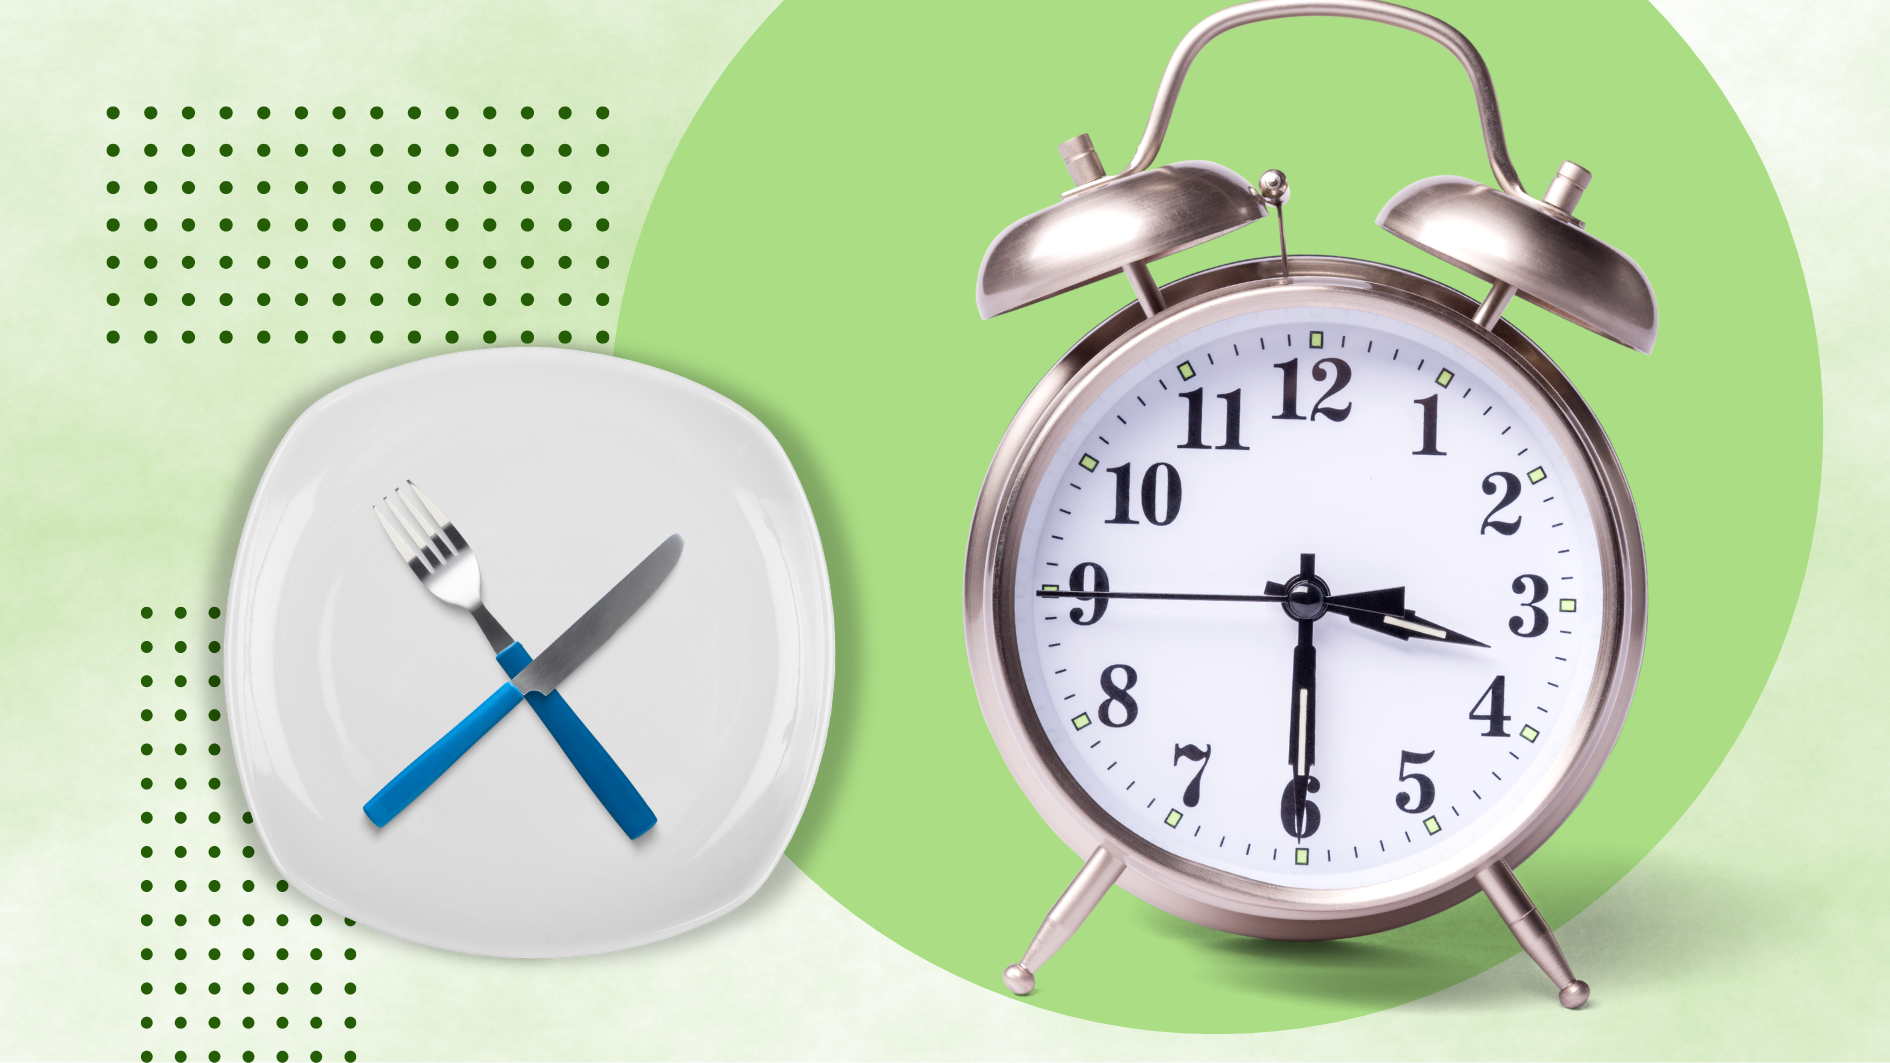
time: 3:30
